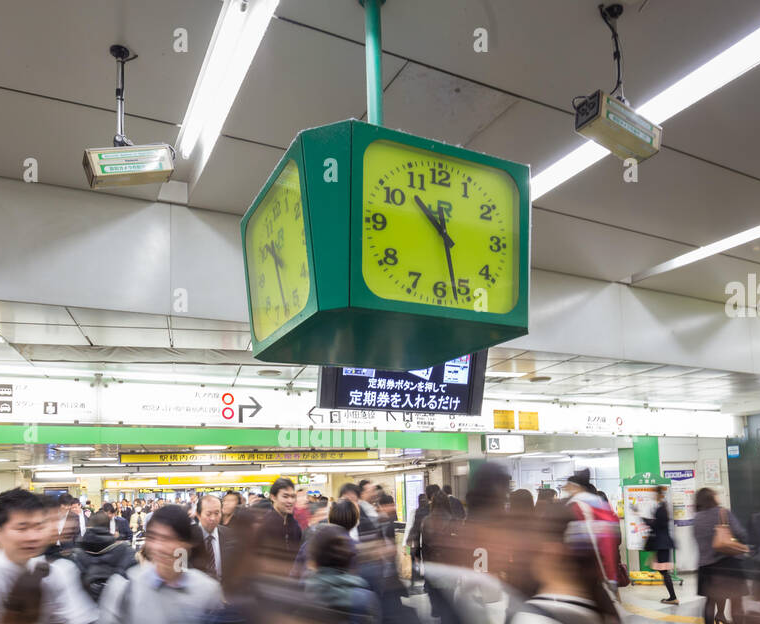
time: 10:28
